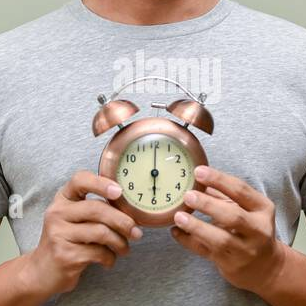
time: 6:00
